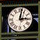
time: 3:01
